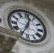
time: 12:34
